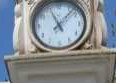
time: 11:07
